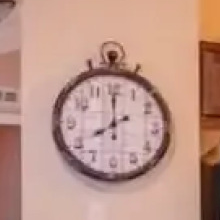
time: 7:59
